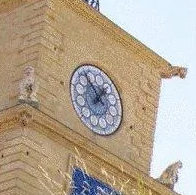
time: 1:56
